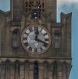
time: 12:18
